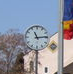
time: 11:13
